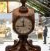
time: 11:43
